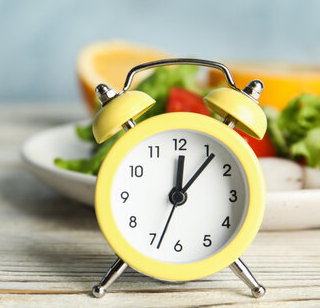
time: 12:06
